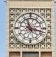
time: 11:17
